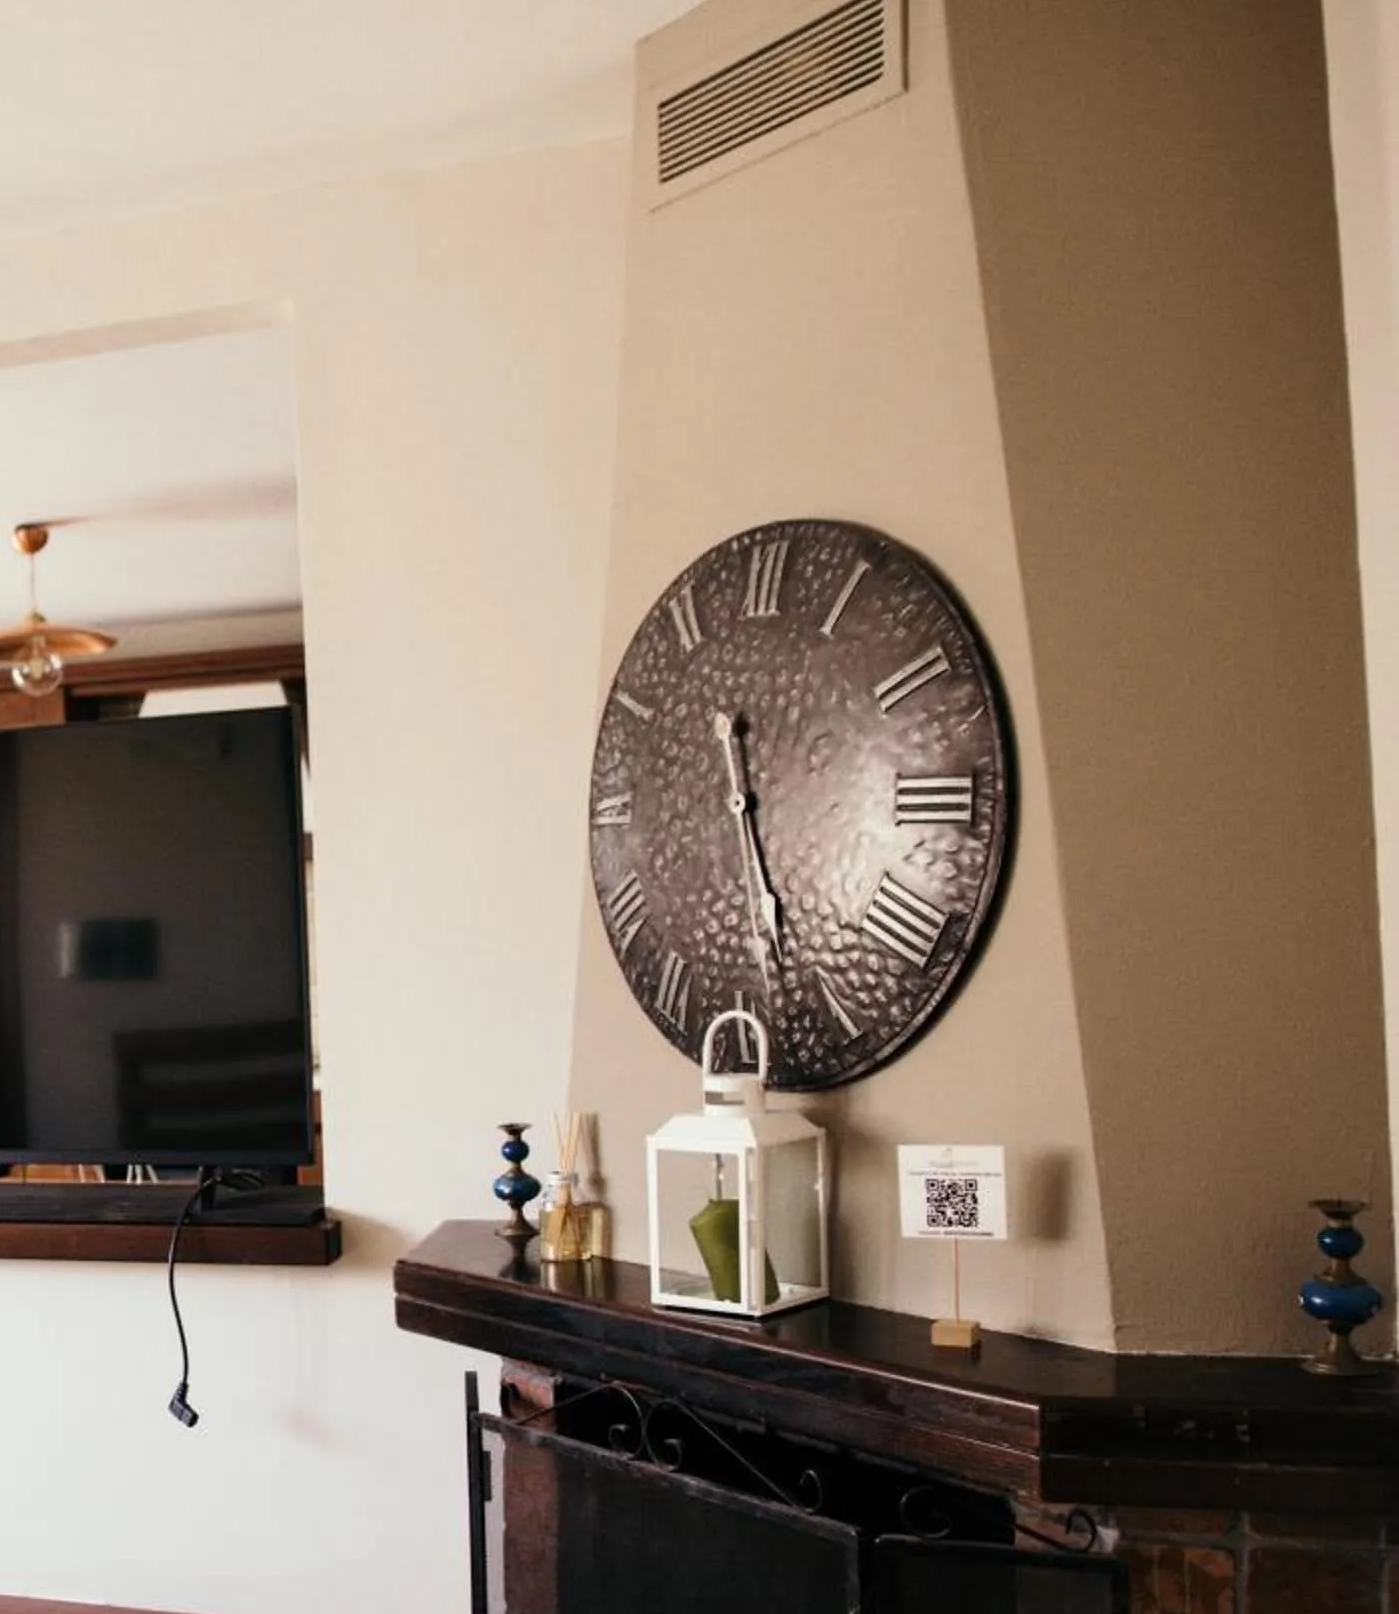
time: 11:26
